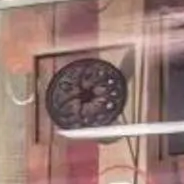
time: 6:40
